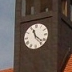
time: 11:22
